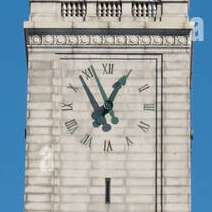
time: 12:55
